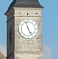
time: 4:57
